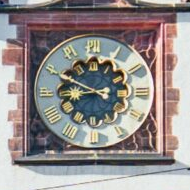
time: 8:49
